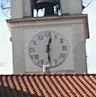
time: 12:28
